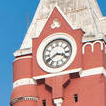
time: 3:40
